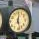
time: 12:27
